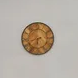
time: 6:41
